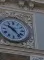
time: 10:23
